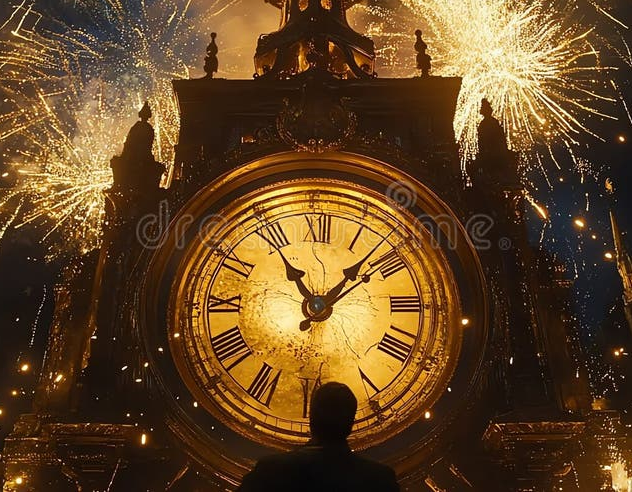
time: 11:07
